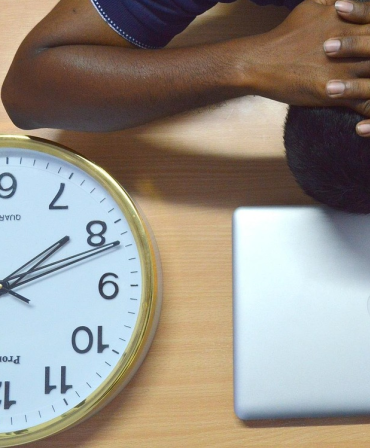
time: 2:09
